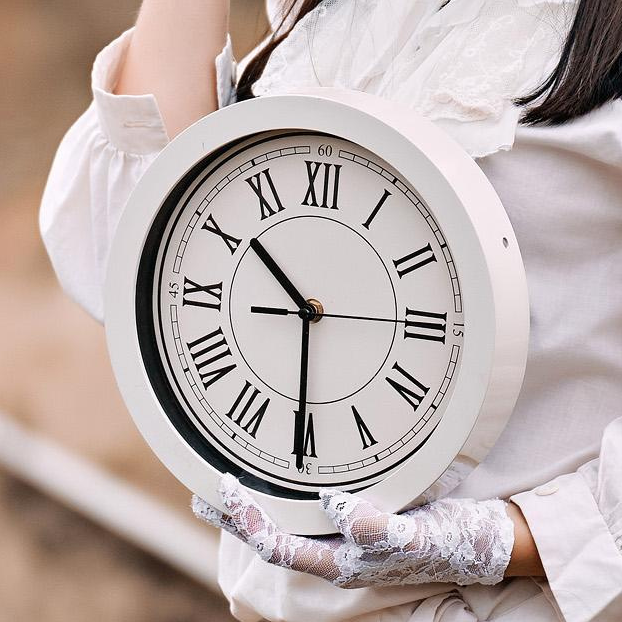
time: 10:30
